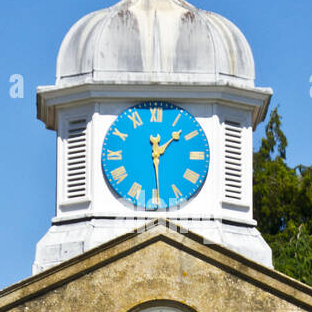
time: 1:29
